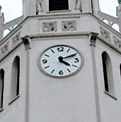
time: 4:10
